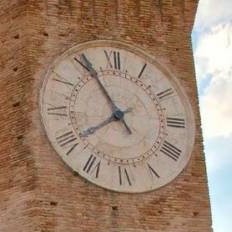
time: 7:54
